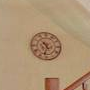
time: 10:32
